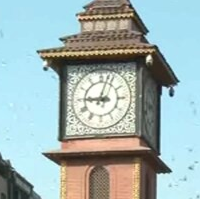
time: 9:02
